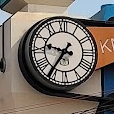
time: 9:36
